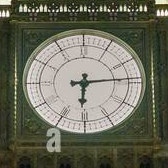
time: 6:14
